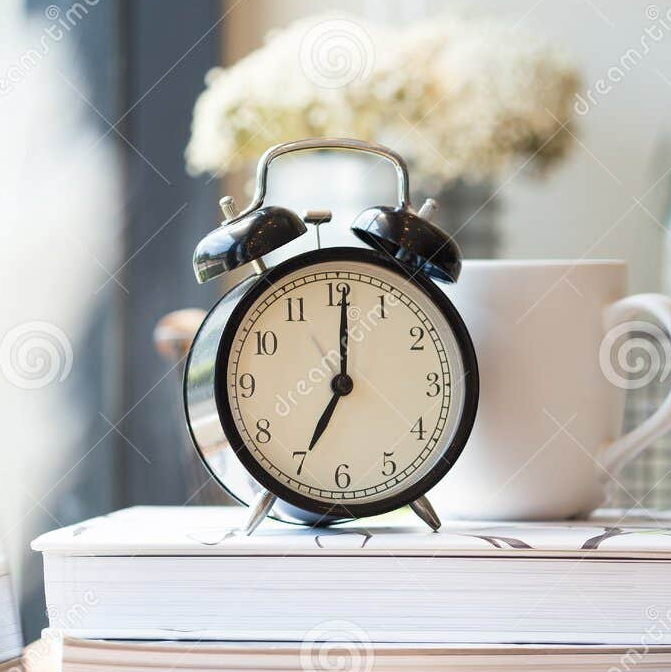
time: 7:00
